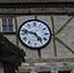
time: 4:47
